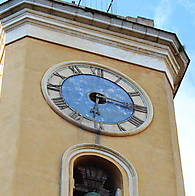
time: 6:15
